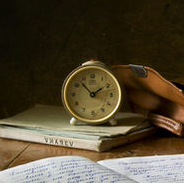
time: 1:53
